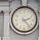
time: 2:23
